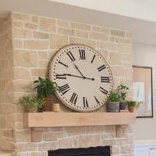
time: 10:45
